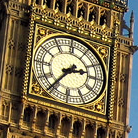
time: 2:36
